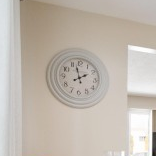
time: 1:57
